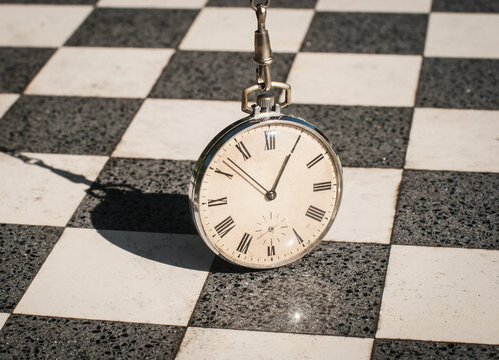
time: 12:52
